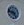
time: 4:46
